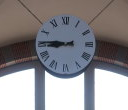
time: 8:45
